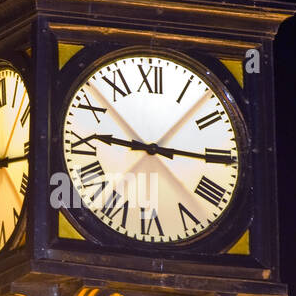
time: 9:15
